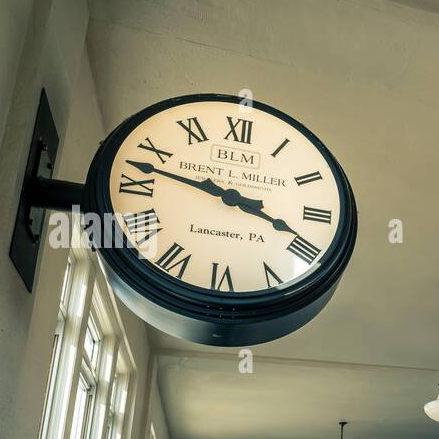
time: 3:47
